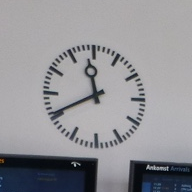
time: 11:40
